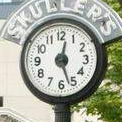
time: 12:26
